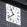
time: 10:39
